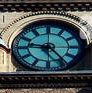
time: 9:23
